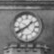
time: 1:40
